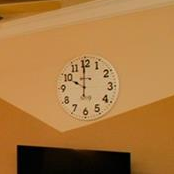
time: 9:59
